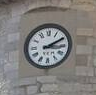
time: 3:10
